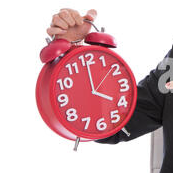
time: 4:00
